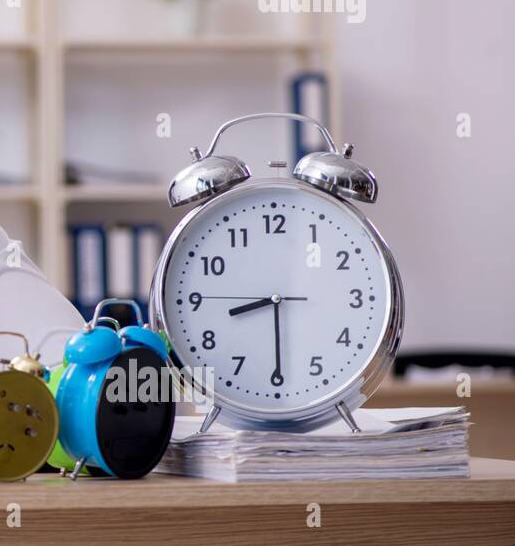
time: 8:29
